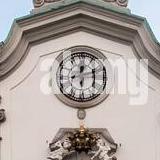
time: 12:12
